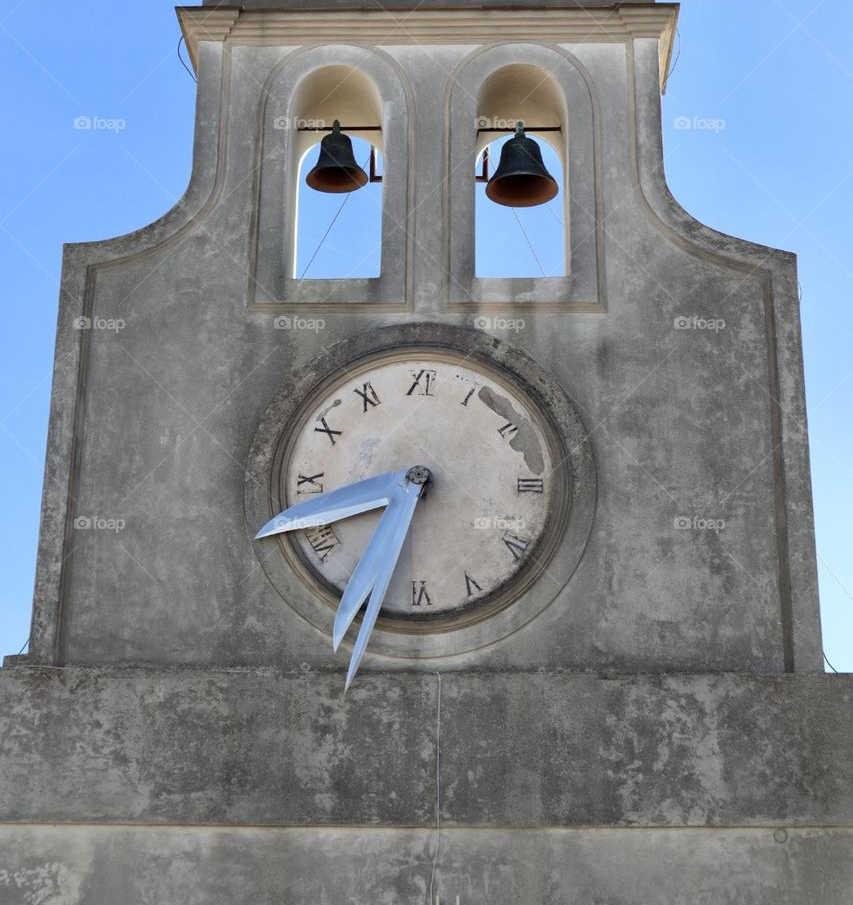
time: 8:33
